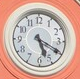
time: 5:19
